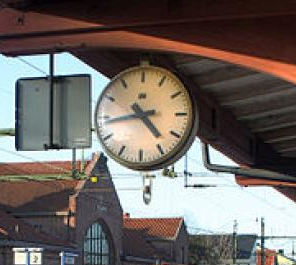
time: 4:43
